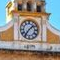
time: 1:36
